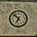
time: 6:52
